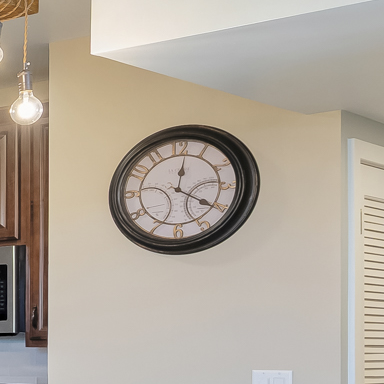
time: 12:20
